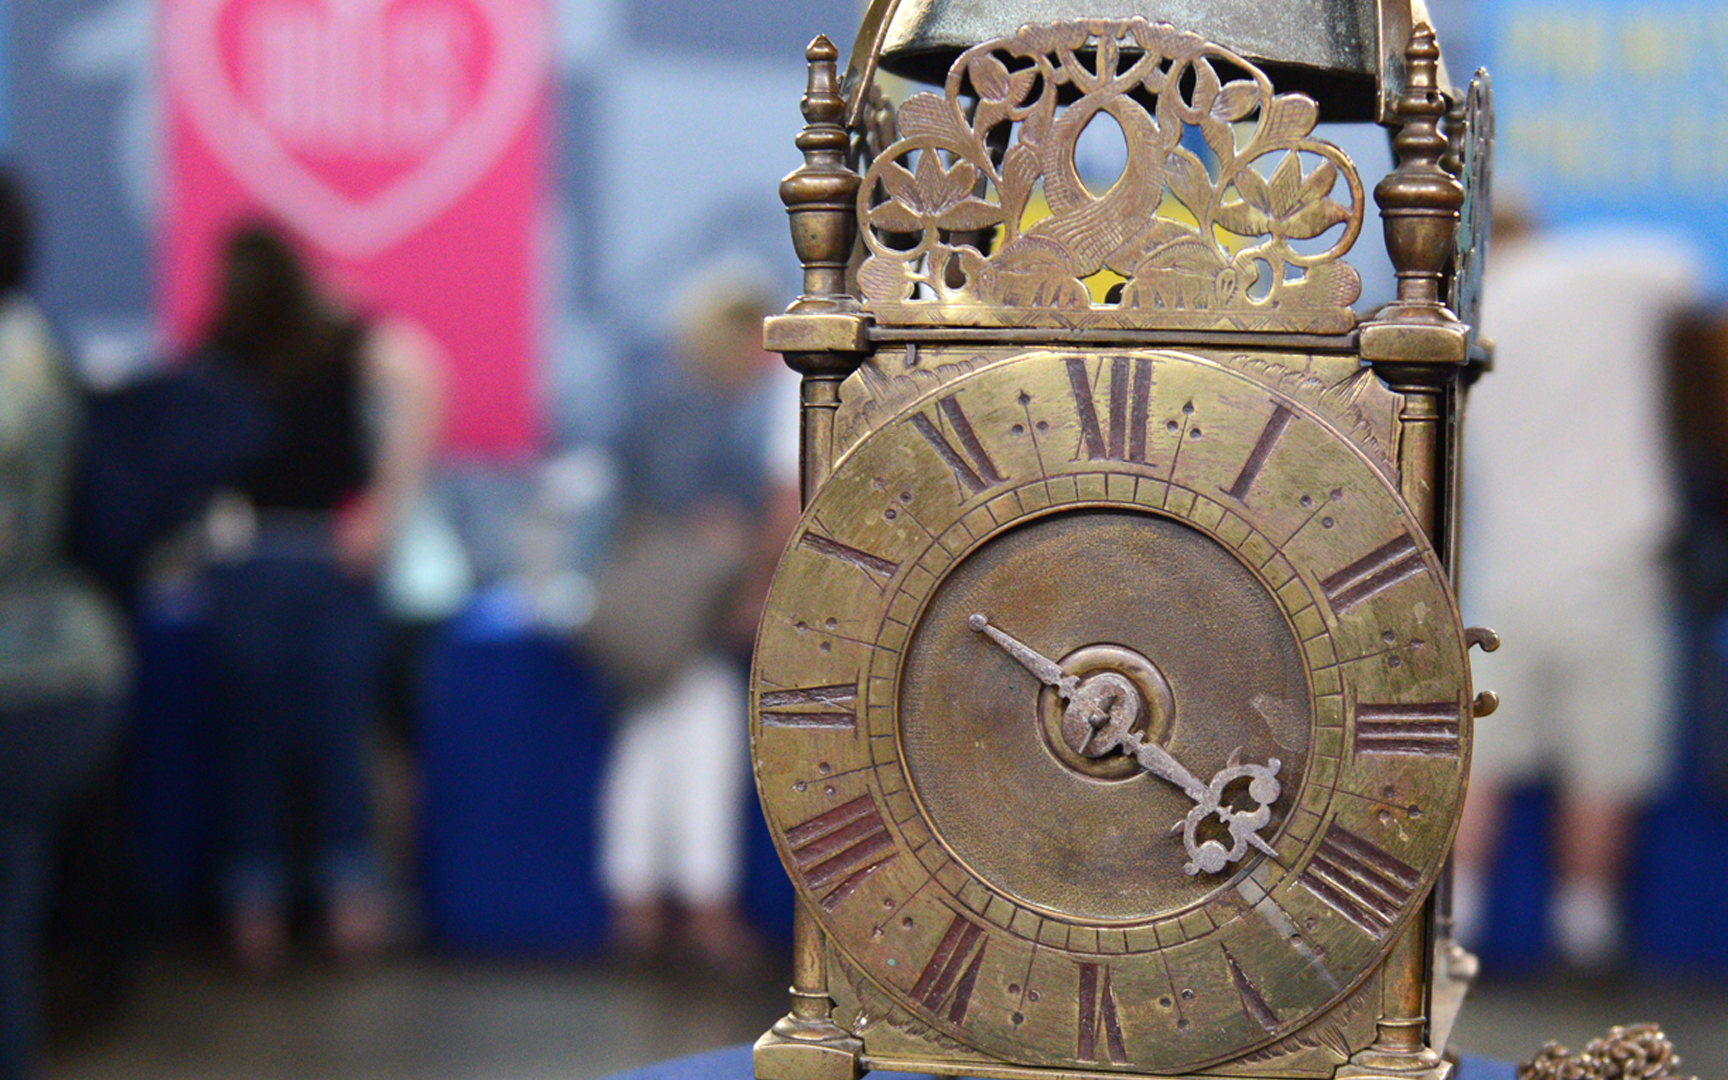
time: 4:21
